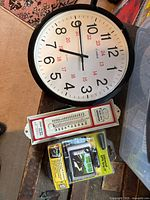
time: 10:00
